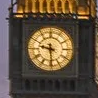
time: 9:29
